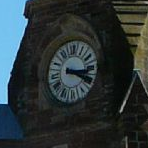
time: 3:19
